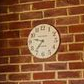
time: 9:36
